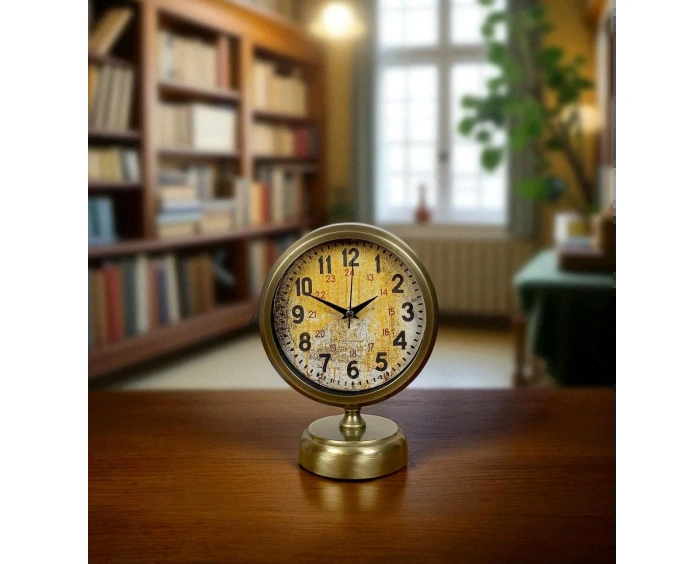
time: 1:49
